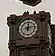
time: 12:13
